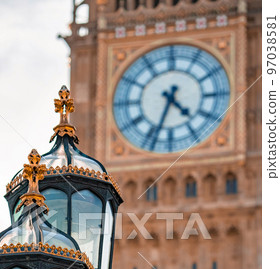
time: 4:33
